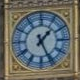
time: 1:25
